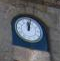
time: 12:02
